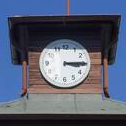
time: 3:14
